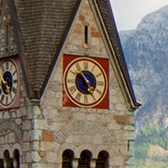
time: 4:54
